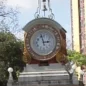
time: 2:57
